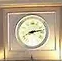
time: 8:13
